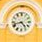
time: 4:42
